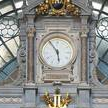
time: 5:54
